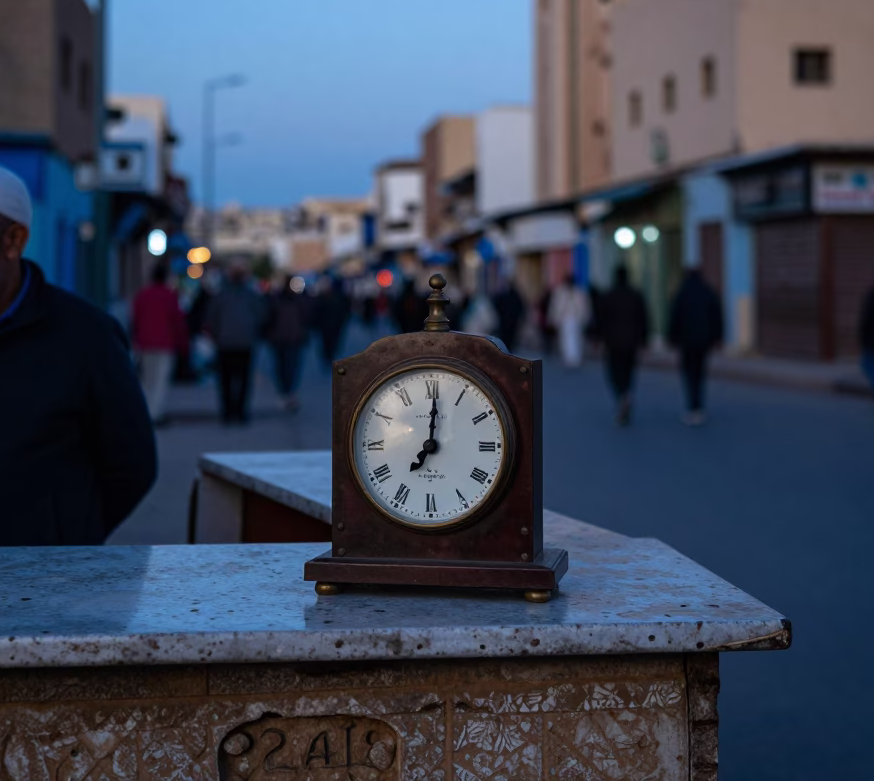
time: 7:01
